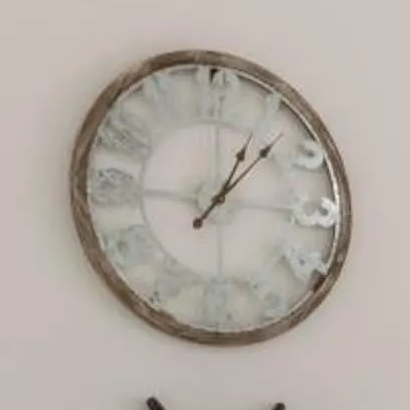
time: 1:07
